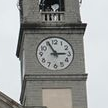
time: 2:55
